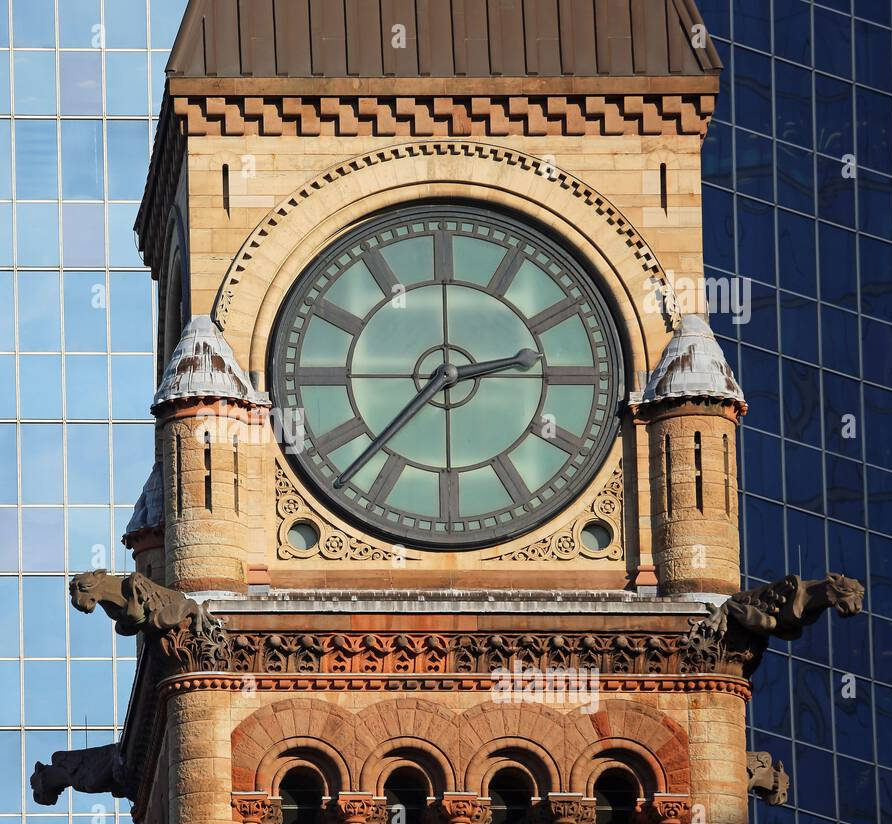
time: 2:37
